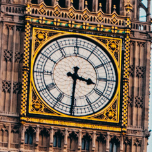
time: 3:30
